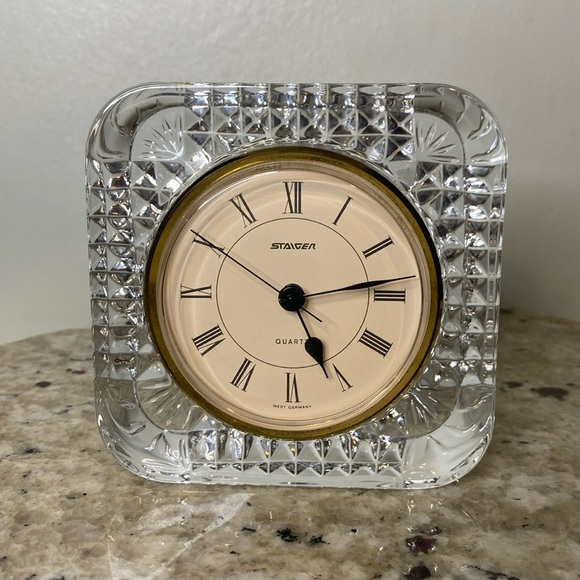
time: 5:13
